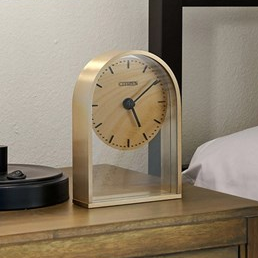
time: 5:09
